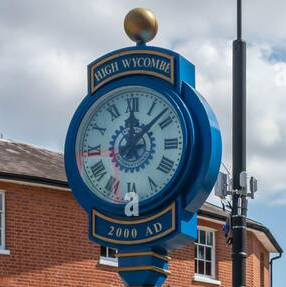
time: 12:08
